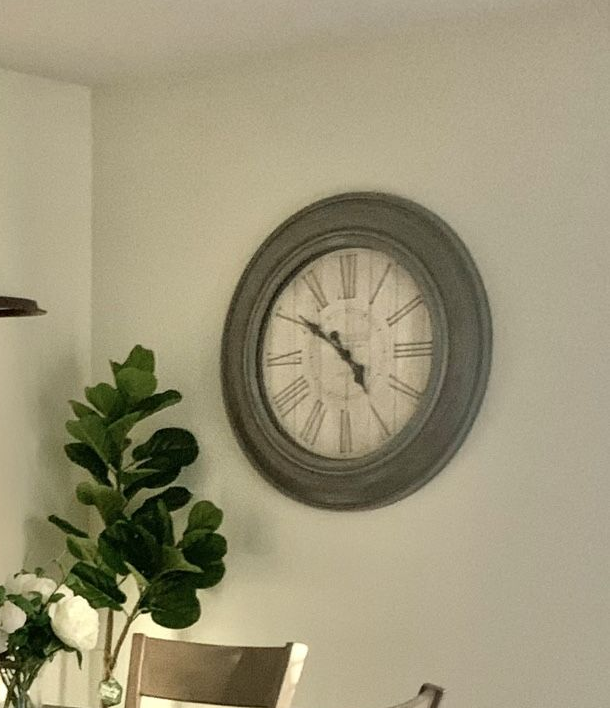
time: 4:50
